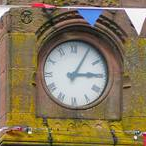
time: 3:05
